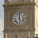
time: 5:00
